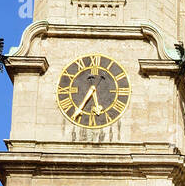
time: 5:35
